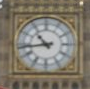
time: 10:43
